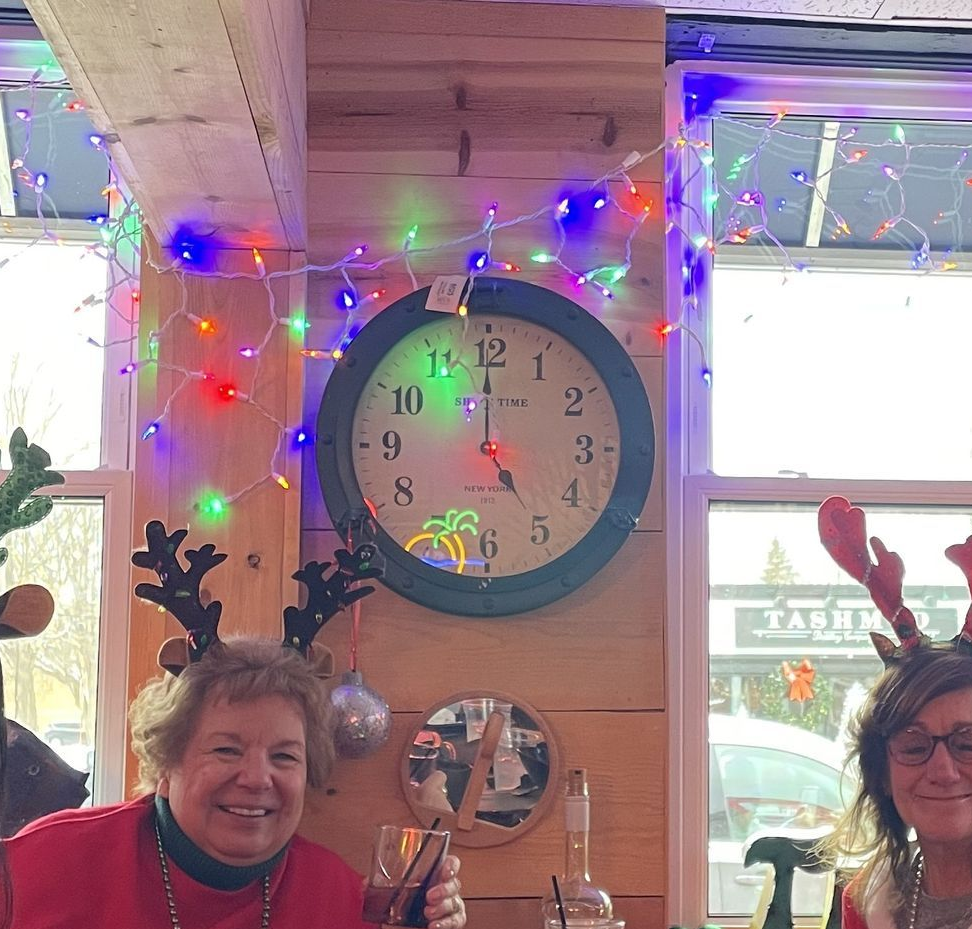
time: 4:59
